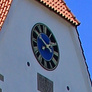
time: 1:50
